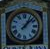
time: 1:07
